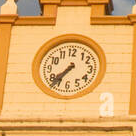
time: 7:36
